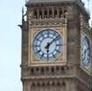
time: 6:08
